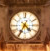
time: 4:34
